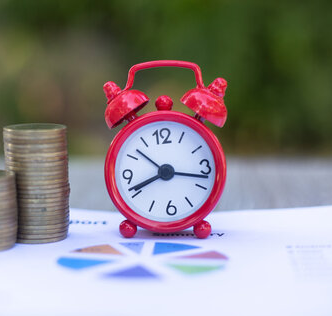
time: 8:17
